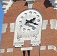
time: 2:18
